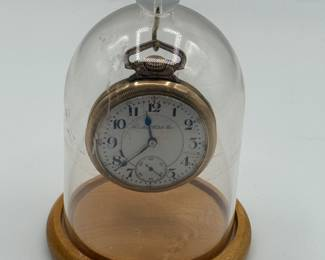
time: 11:37
